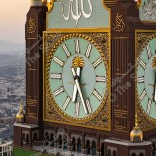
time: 6:26
